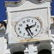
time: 2:26
